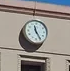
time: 11:25
